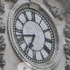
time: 6:42
